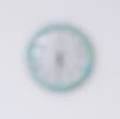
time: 5:31
